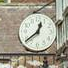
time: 12:38
